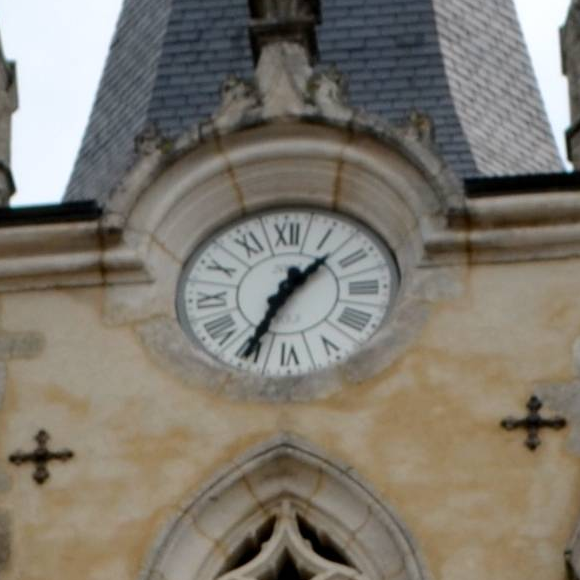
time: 1:34
